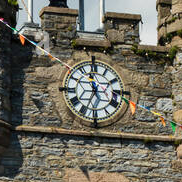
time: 11:34
